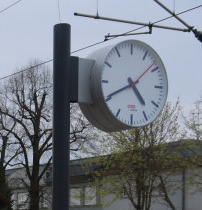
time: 4:40
